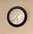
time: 5:37
